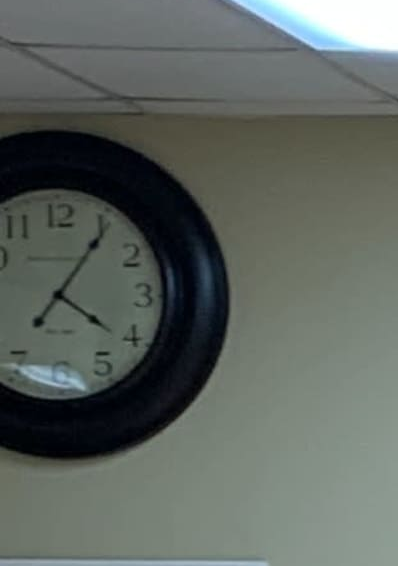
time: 4:05
